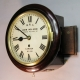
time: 8:50
